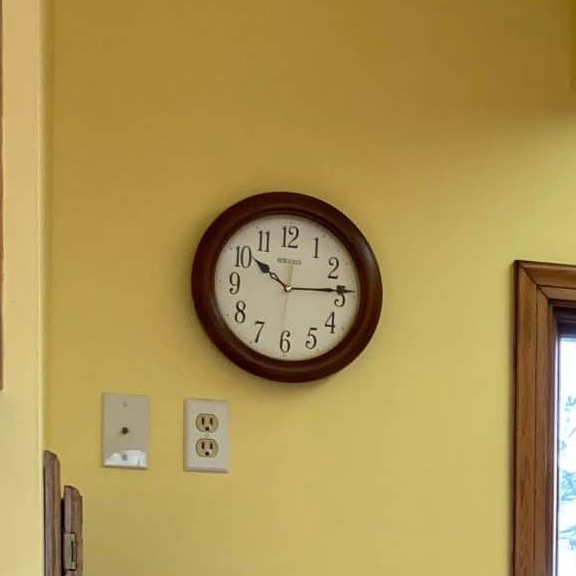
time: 10:14
